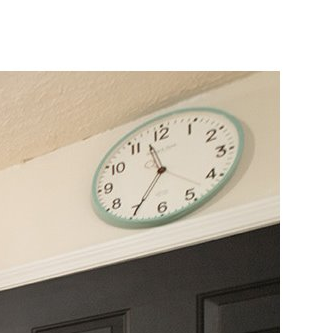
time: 11:35
